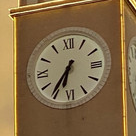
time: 6:35
